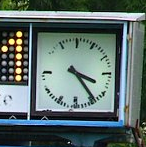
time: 3:23
